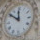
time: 11:50
